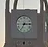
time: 7:15
